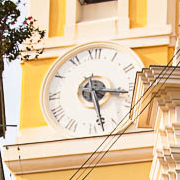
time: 3:27
